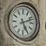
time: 5:11
